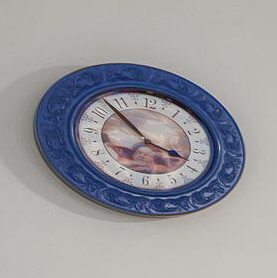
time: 3:53
